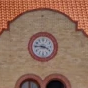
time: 3:45
